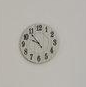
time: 9:53
